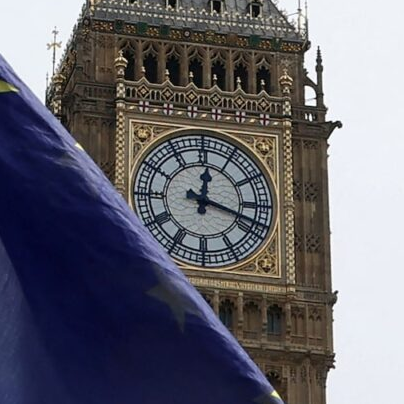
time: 12:18
